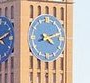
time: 4:12
